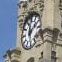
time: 12:07
